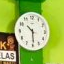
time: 10:29
